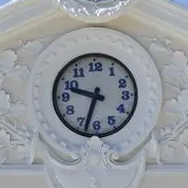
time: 9:33
